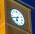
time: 6:41
